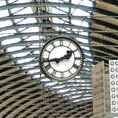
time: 1:43
